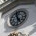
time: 4:57
